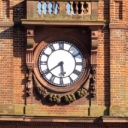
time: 5:39
